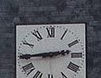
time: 2:44
